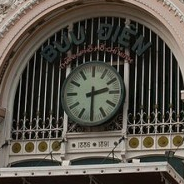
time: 2:30
